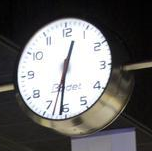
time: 12:31
